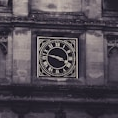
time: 3:46
